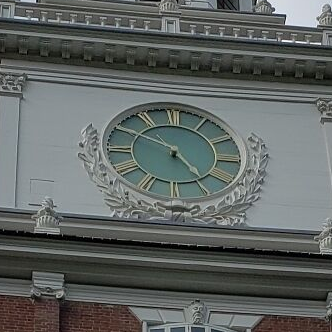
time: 4:50
